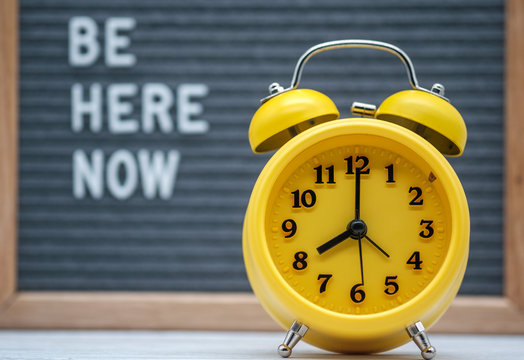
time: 8:00
